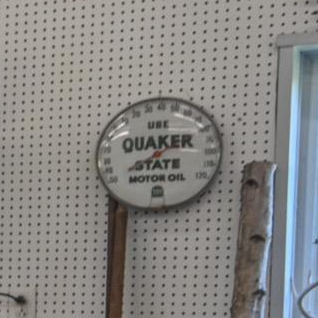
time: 2:40
